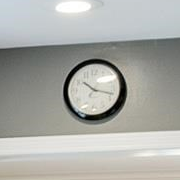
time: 10:17
